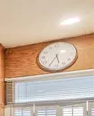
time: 5:34
